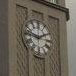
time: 1:46
